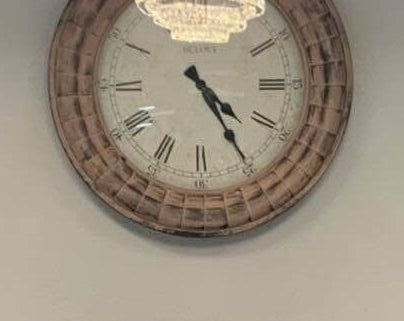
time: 4:24
